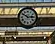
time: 2:50
